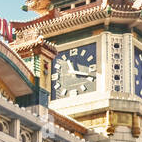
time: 11:18
